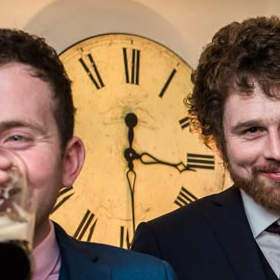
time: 12:16
